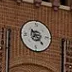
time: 7:23
